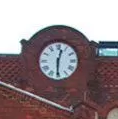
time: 12:30
